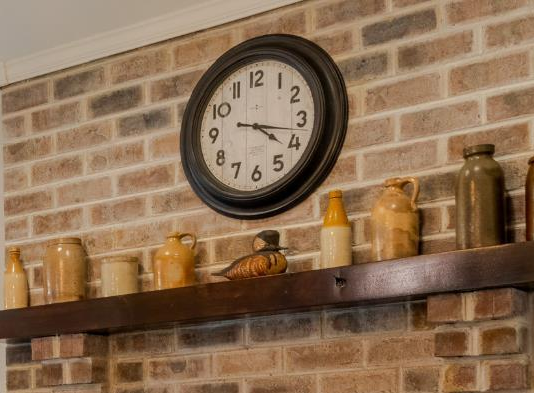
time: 4:17
